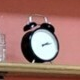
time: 2:12
